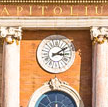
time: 3:09
